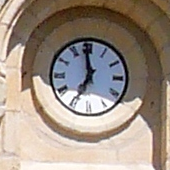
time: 6:58
